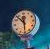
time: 5:53
